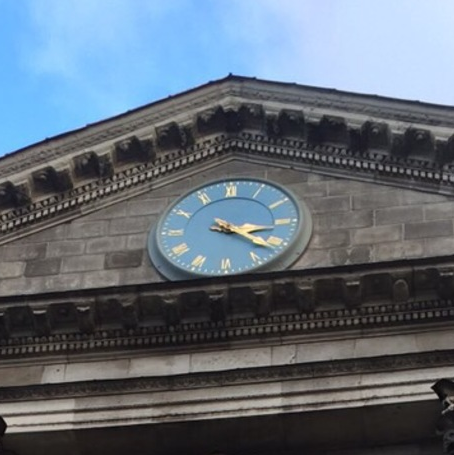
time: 3:21
